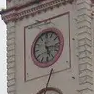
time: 5:16
